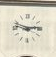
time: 2:48
